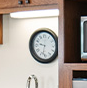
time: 9:32
